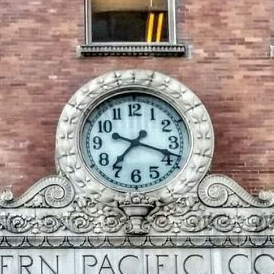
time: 7:18
